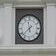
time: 11:37
